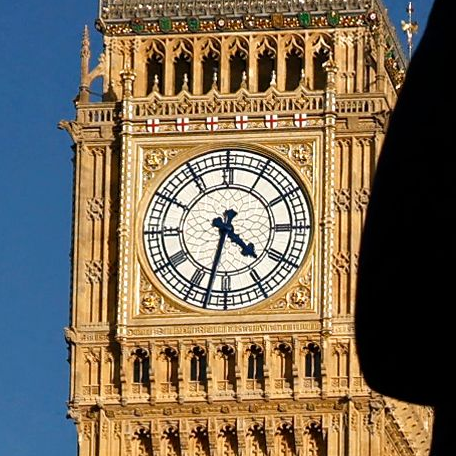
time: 4:32
